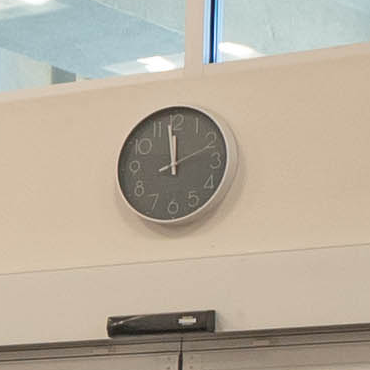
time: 11:58
